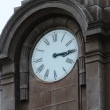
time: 3:14
